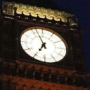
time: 6:56
